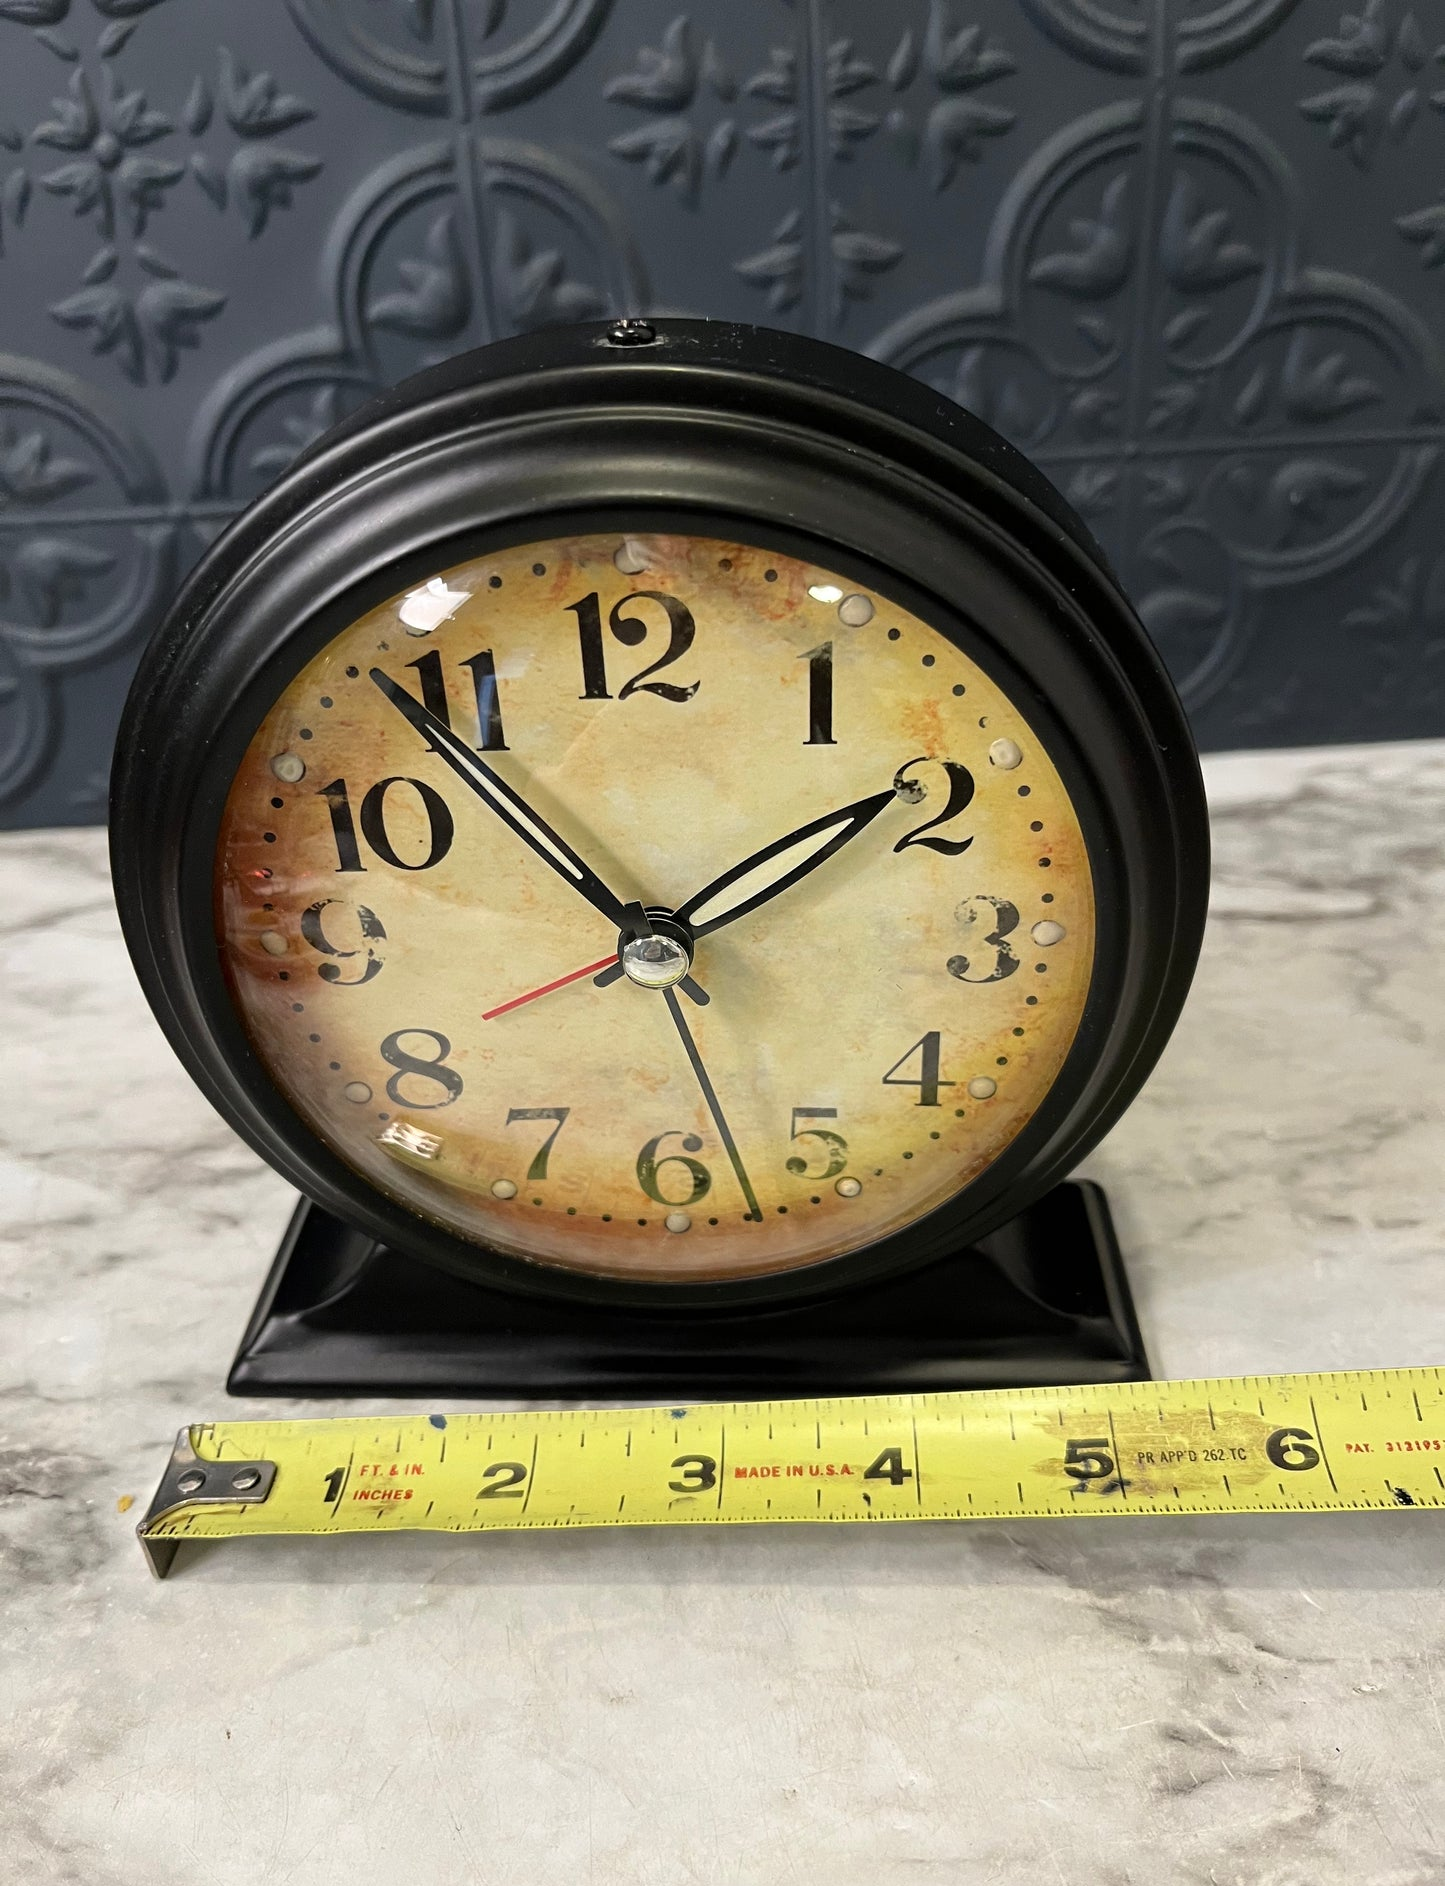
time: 1:53
